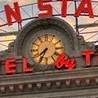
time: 7:34
